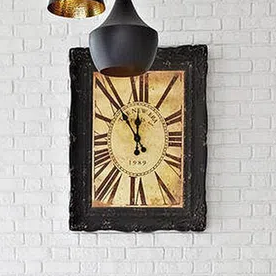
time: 11:52
